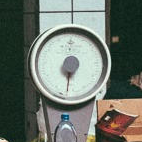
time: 6:32
